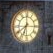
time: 6:39
